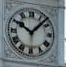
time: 10:07
